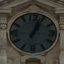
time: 1:03
